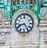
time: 8:24
